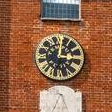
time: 3:00
